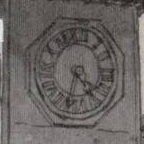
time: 4:32
